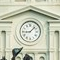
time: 9:07
